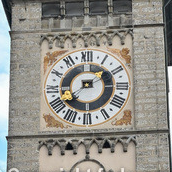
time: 1:39
